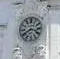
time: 3:40
